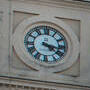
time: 4:17
